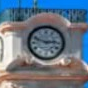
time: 2:48
